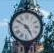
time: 4:50
